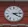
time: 4:13
